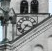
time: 7:17
